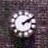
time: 2:09
